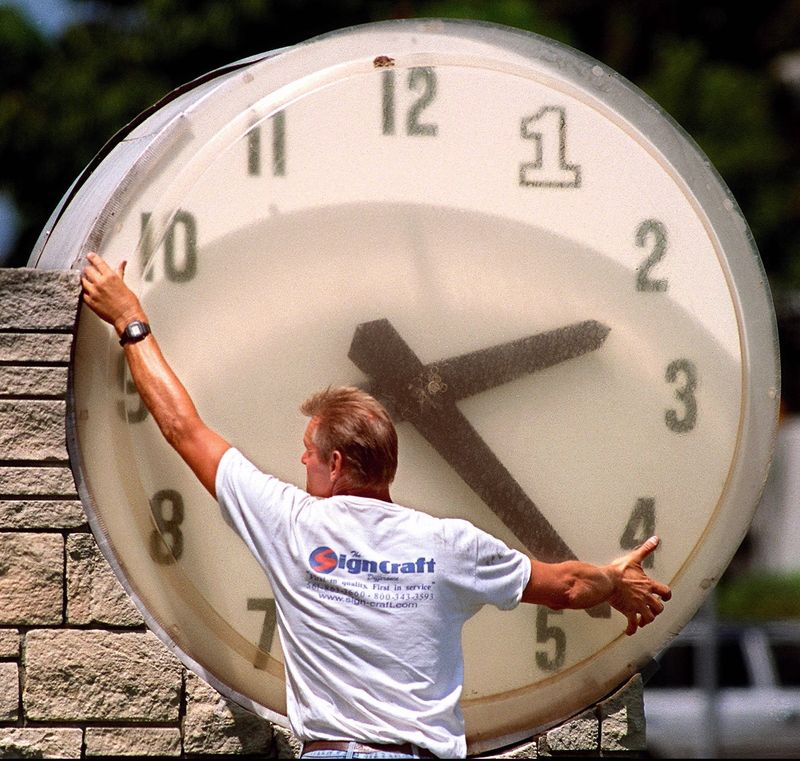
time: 2:23
